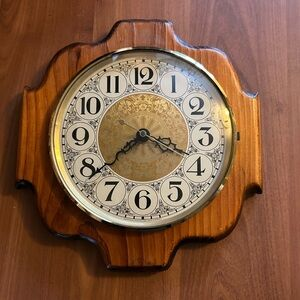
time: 3:38
